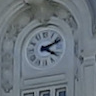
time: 4:11
